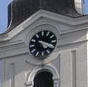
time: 5:18
